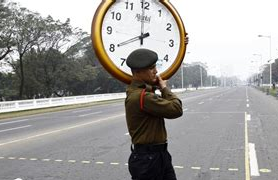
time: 7:59
